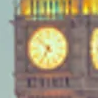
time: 6:52
